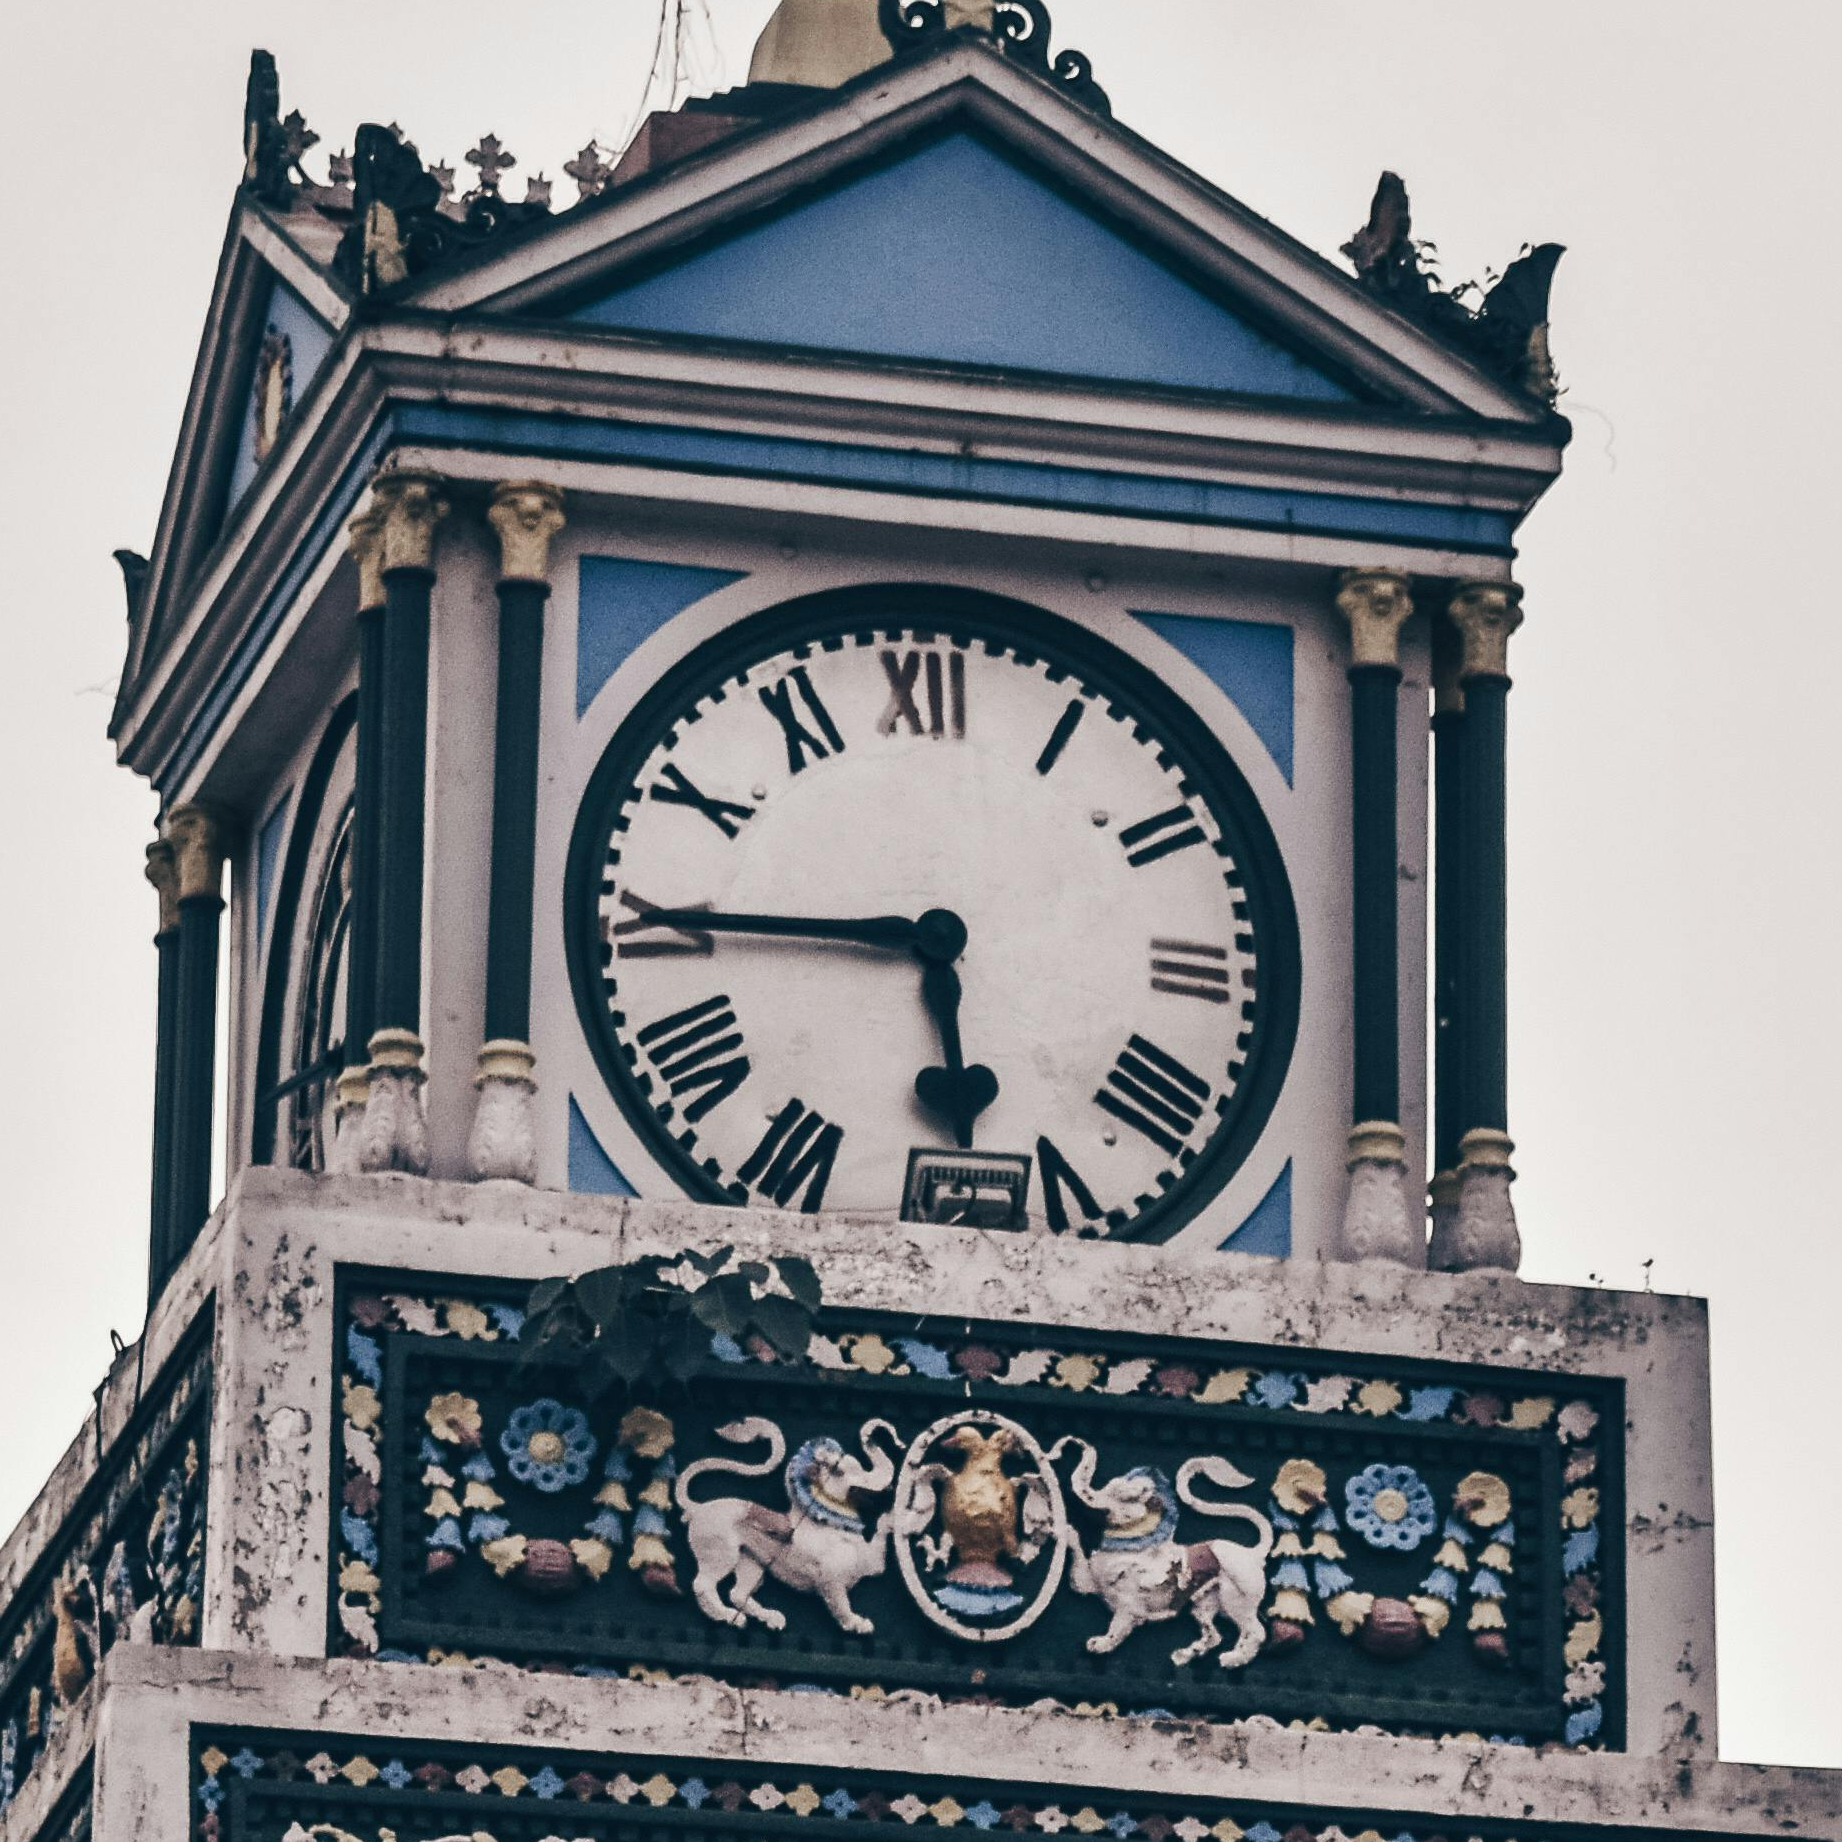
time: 5:45
